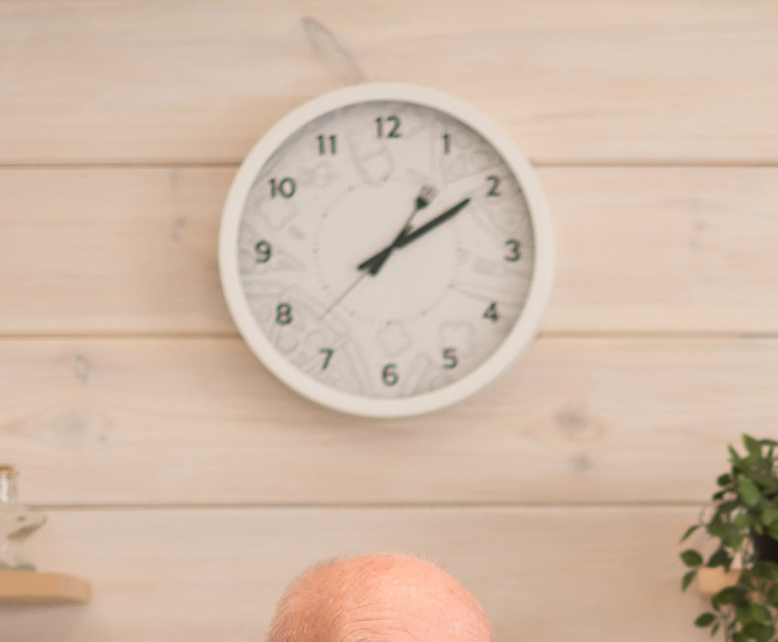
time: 1:09
